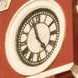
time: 4:57
